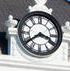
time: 3:39
